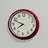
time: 7:48
